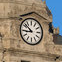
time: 8:51
